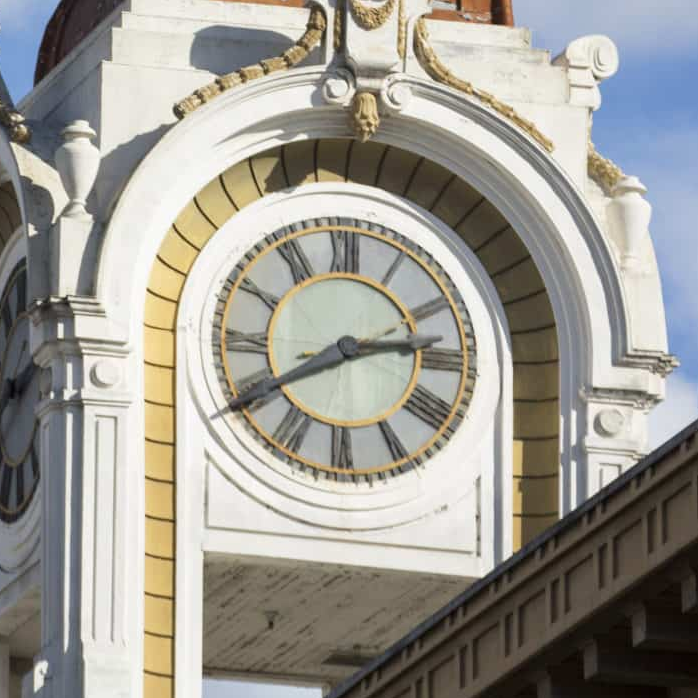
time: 2:40
